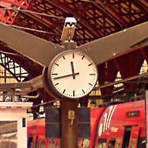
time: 11:42
